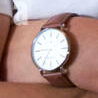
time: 6:45
